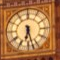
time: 6:27
